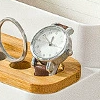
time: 12:55
